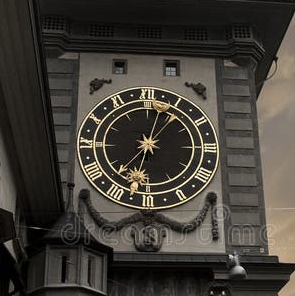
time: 12:32
